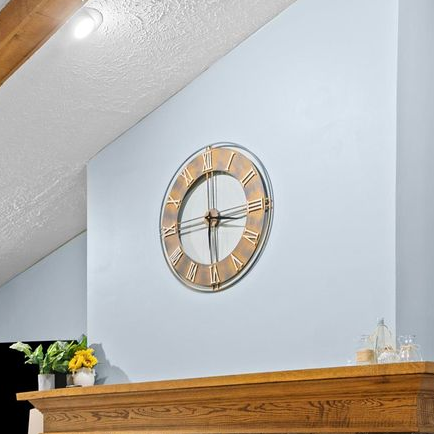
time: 3:30
